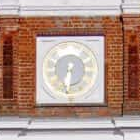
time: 6:31
